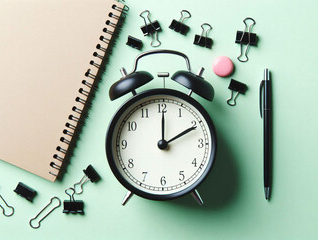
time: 2:00
